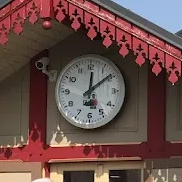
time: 12:08
